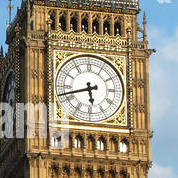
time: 5:42
